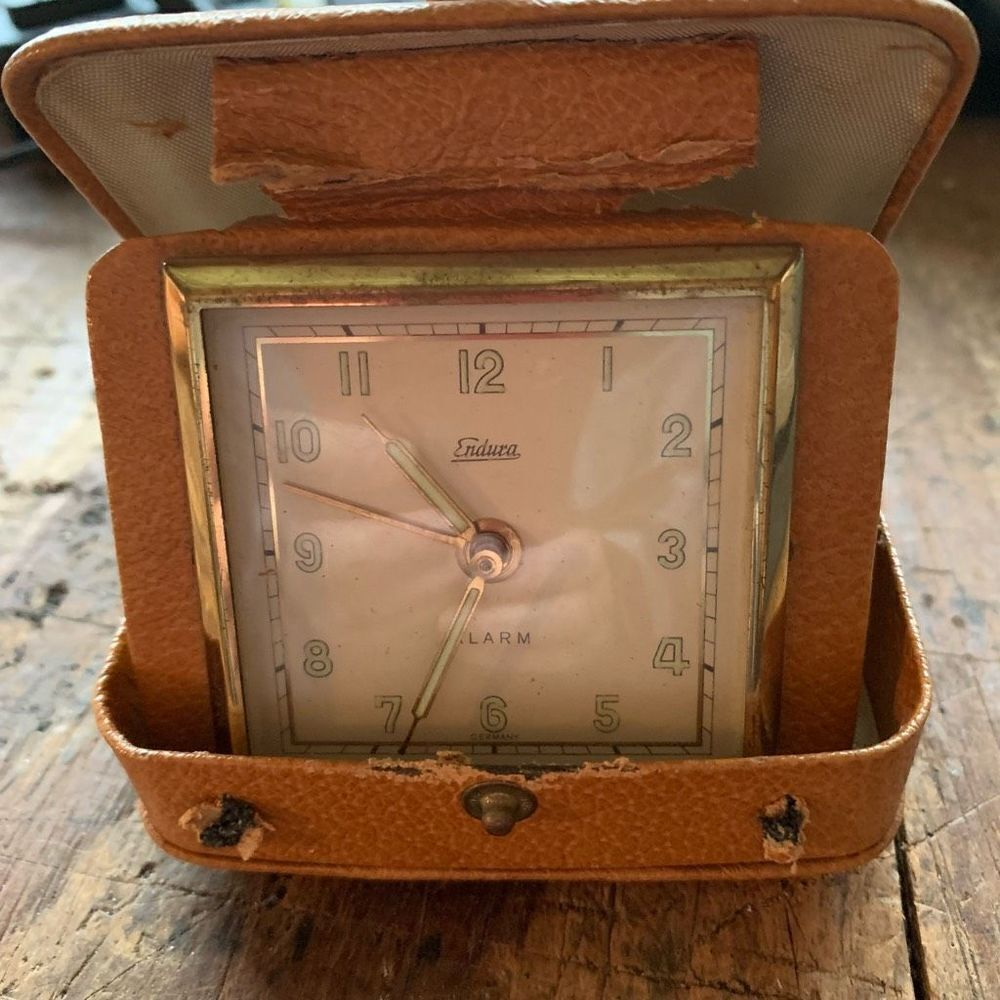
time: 10:33
